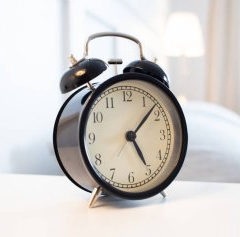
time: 5:07
